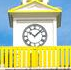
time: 10:07
